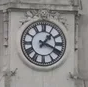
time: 1:18
